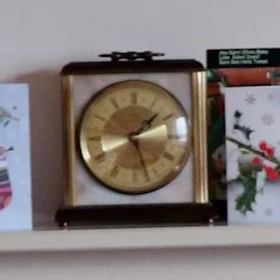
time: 1:26
